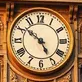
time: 4:51
